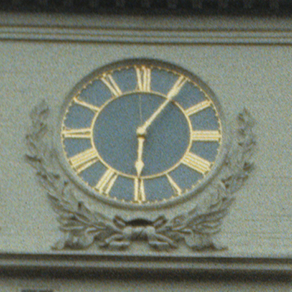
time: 6:05
